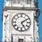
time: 5:09
